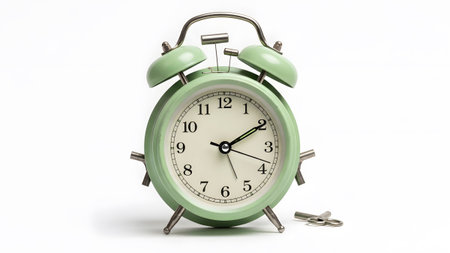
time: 2:10
